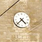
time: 4:37
